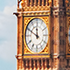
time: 11:49
